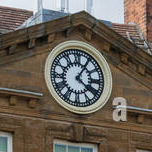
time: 4:05
